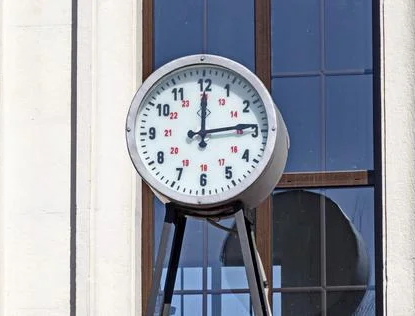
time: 12:13
